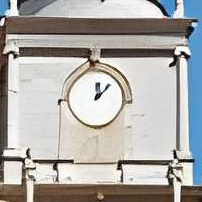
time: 12:07
